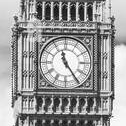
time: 11:24
